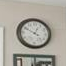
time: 12:49
